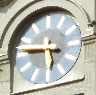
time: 5:46
